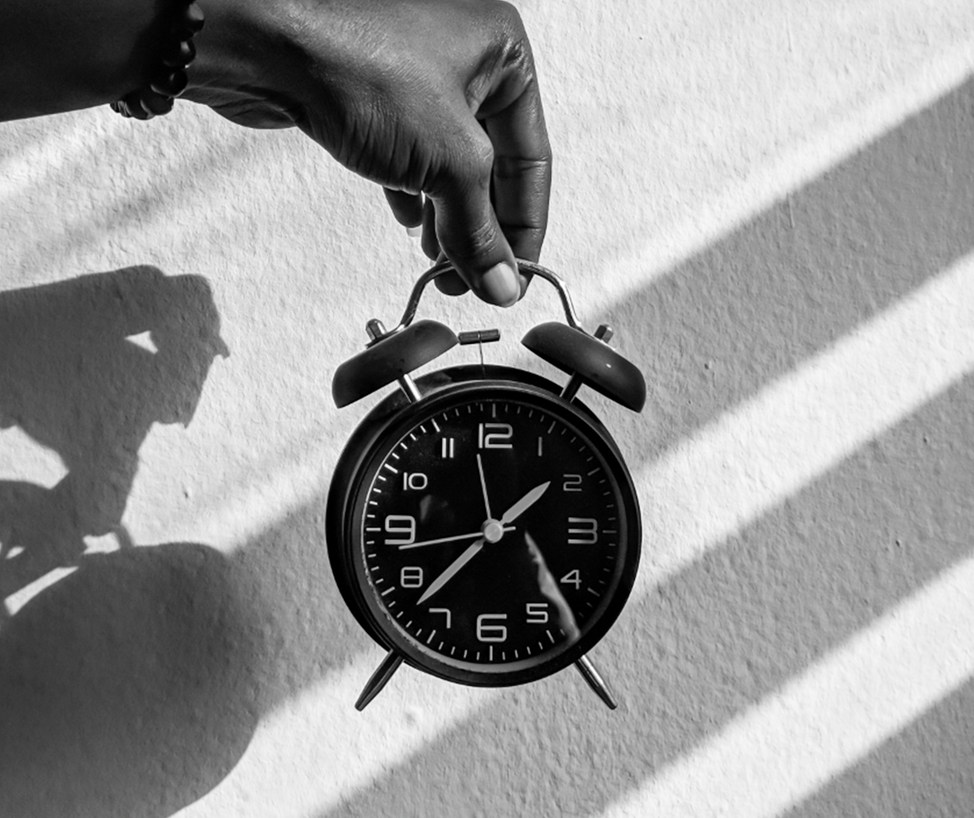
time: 1:37
